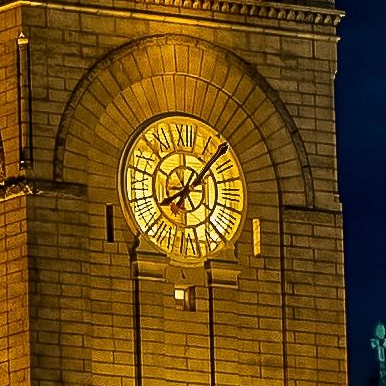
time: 8:07
